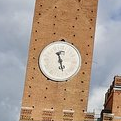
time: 5:27
